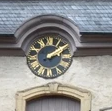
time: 2:09
